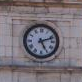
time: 5:11
